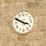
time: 3:49
